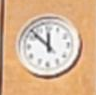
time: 11:52
